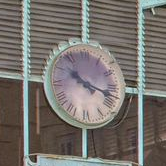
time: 10:17
